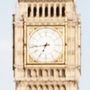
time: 6:43
